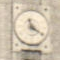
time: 11:21
